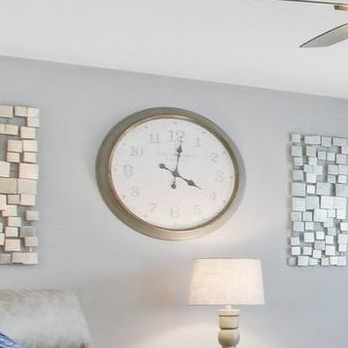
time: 4:01
